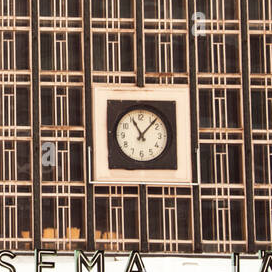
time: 11:07
